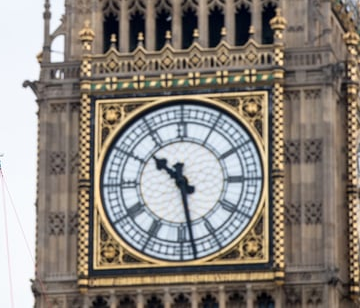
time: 10:28
